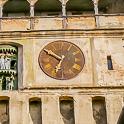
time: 6:50
